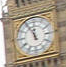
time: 11:55
